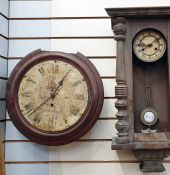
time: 12:37
